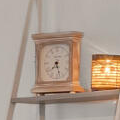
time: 7:27
